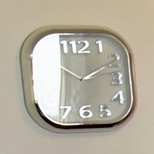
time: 2:10
